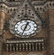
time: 12:33
